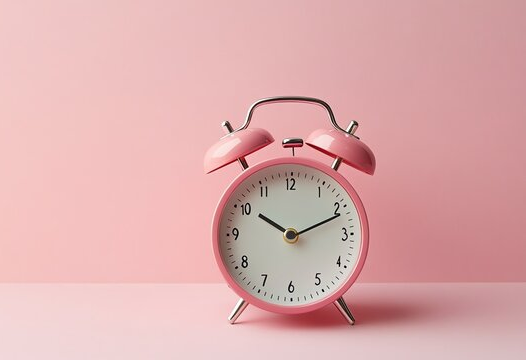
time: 10:11
